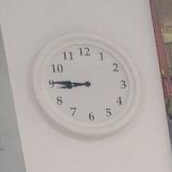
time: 8:45
